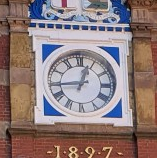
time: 12:43
